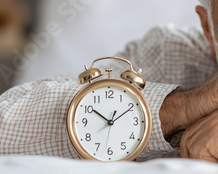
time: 10:09
